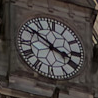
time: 3:51
